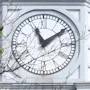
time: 11:09
